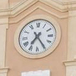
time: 7:24
